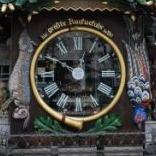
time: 12:49
